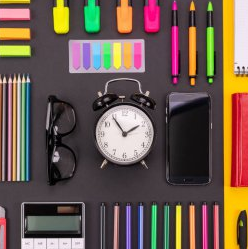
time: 1:54
